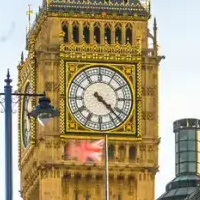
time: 4:22
